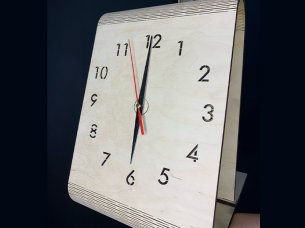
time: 5:59
